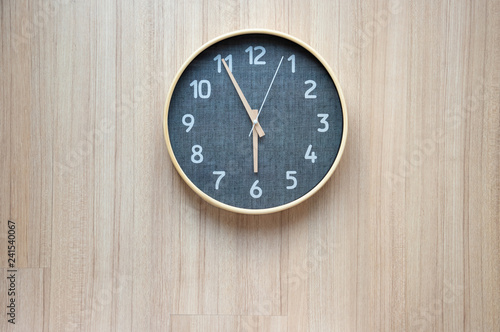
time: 5:55
